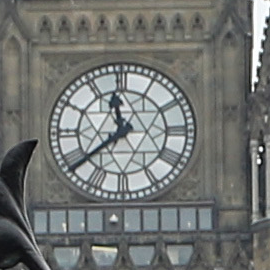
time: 11:38
